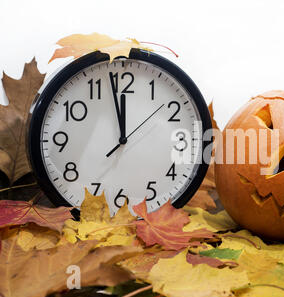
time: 11:57
